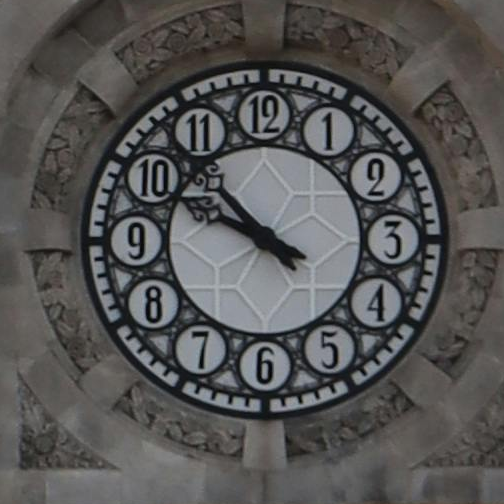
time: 9:52
